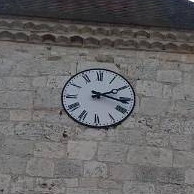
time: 2:17
